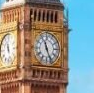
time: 11:25
